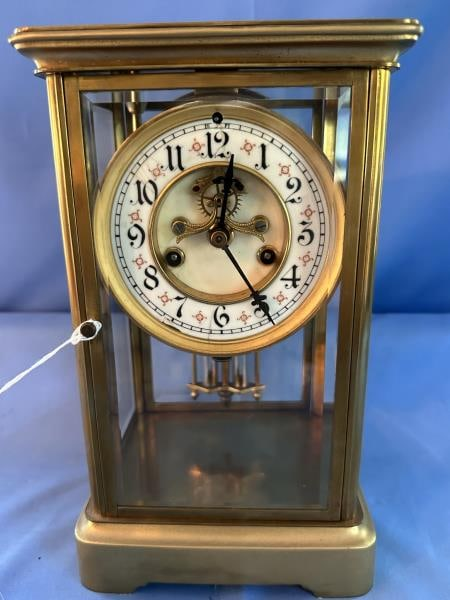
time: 12:24
